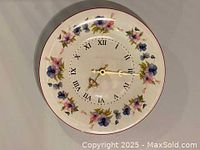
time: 7:15
